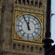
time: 11:55
